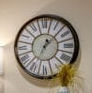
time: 7:07
